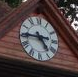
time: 4:45
